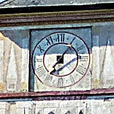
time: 7:06
